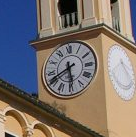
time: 5:40
